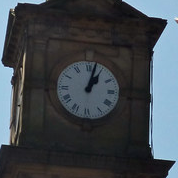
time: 1:02
